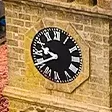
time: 9:40
